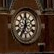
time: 7:00
